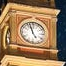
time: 4:57
